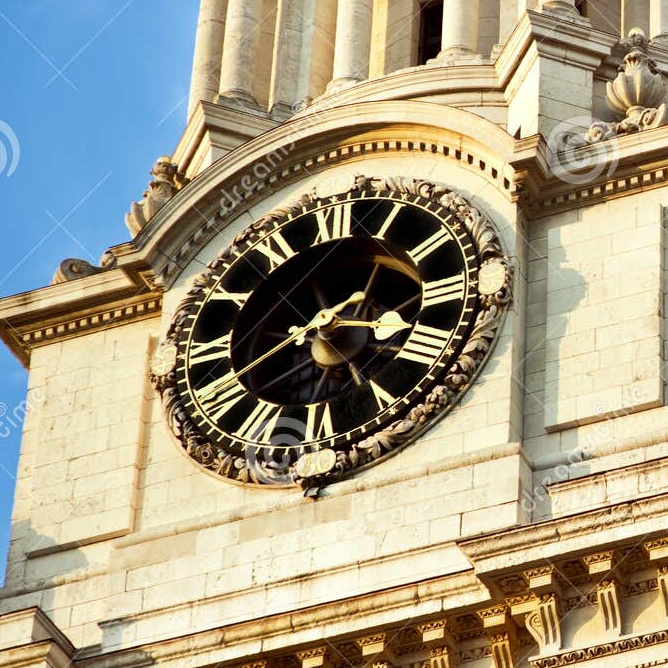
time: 3:40
